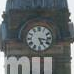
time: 5:16
